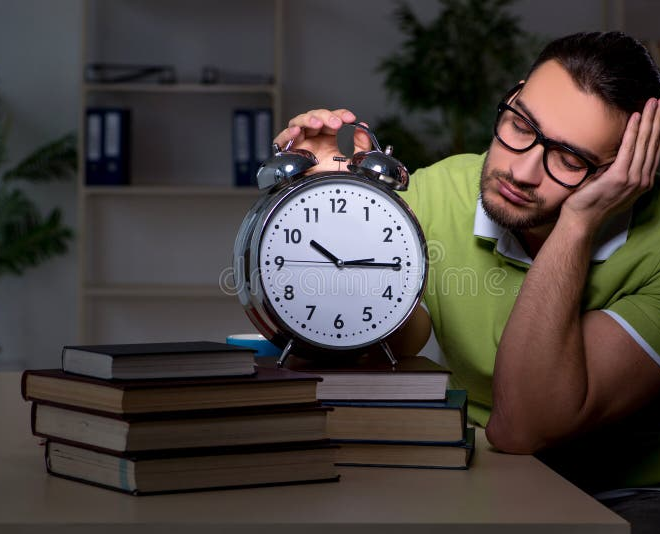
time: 10:15
